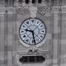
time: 9:28
